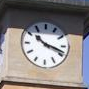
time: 10:18
